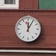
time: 12:05
